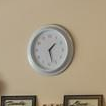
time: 1:27
